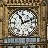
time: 11:11
